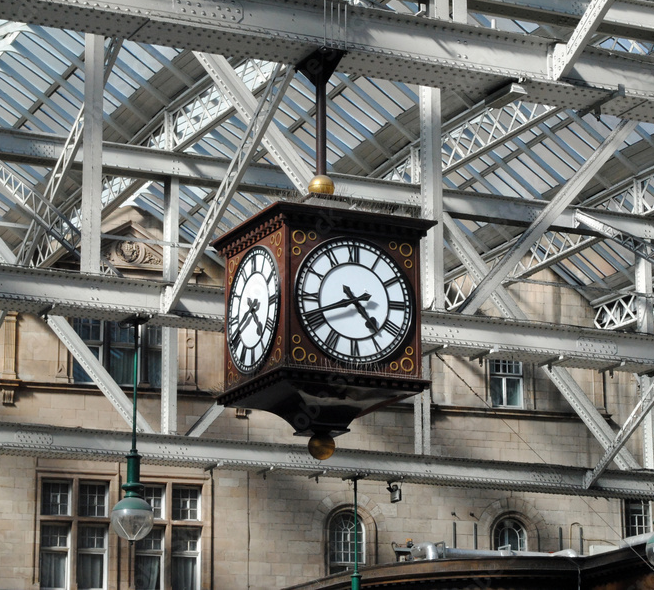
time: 4:41
